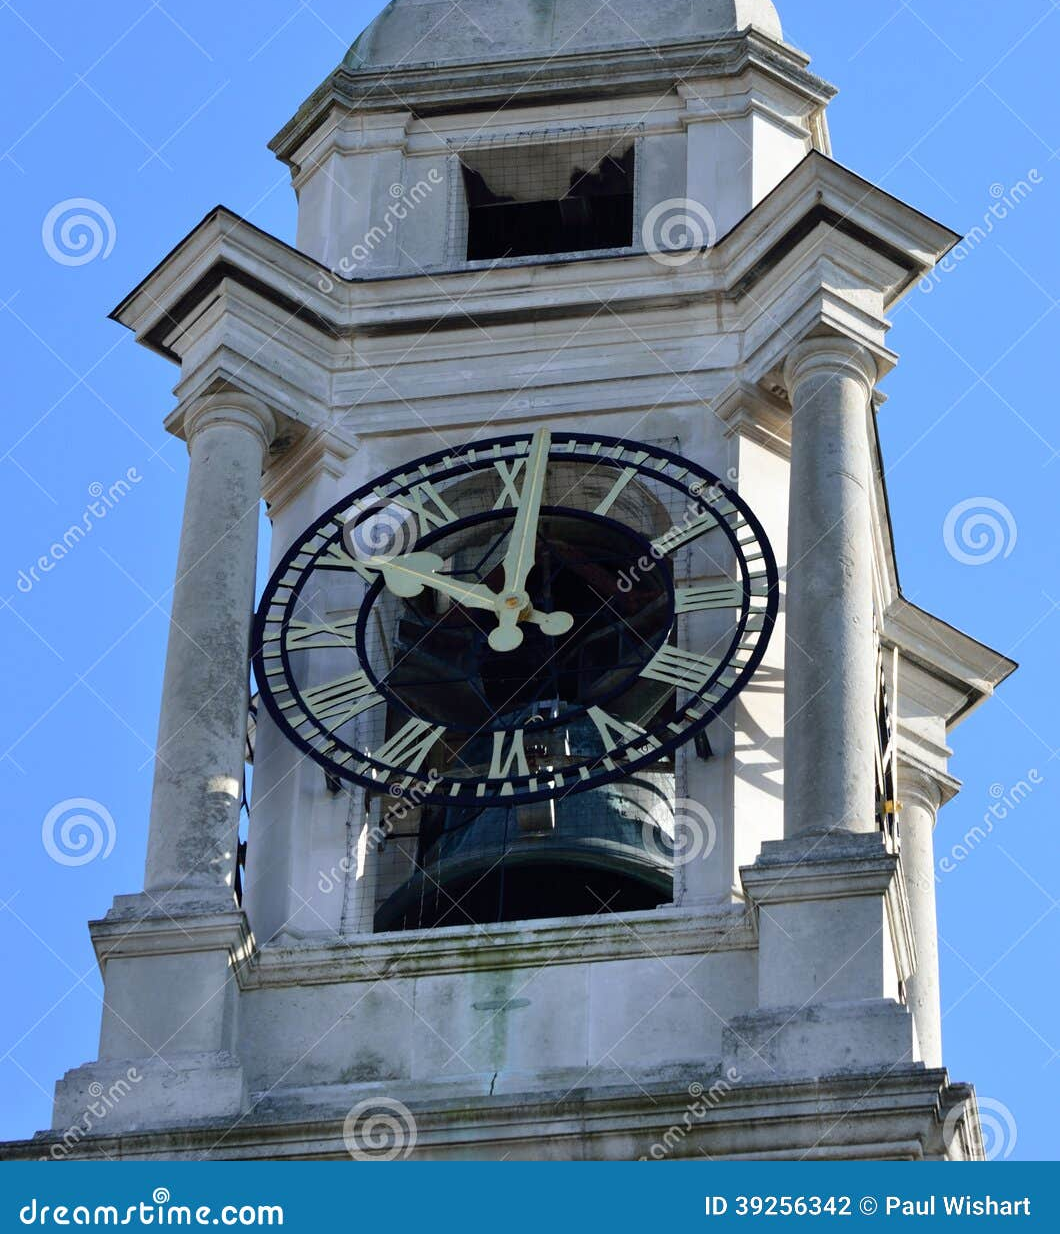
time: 10:00
